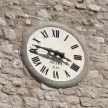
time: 3:47
